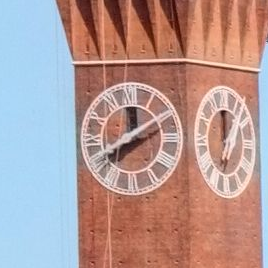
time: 12:09
